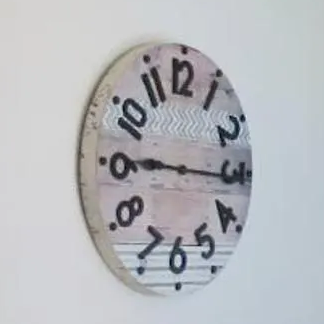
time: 9:15
